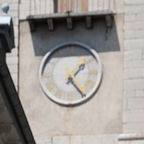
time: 1:24
